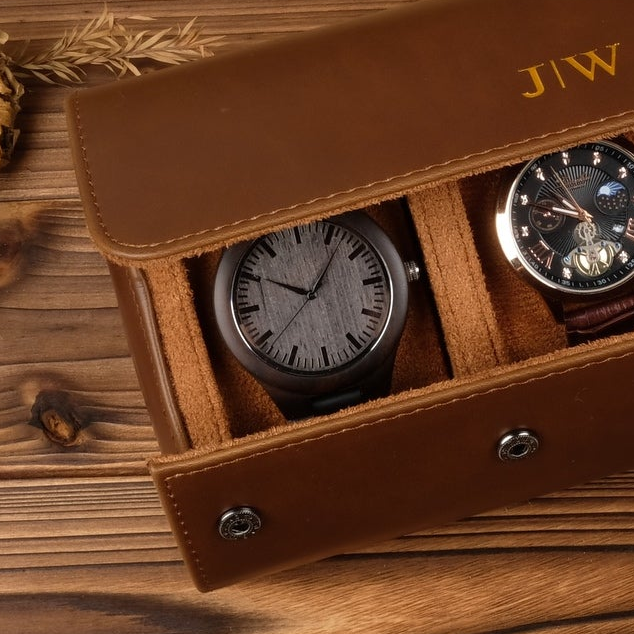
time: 10:07
